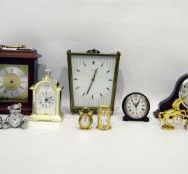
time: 12:34
